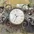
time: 10:34
